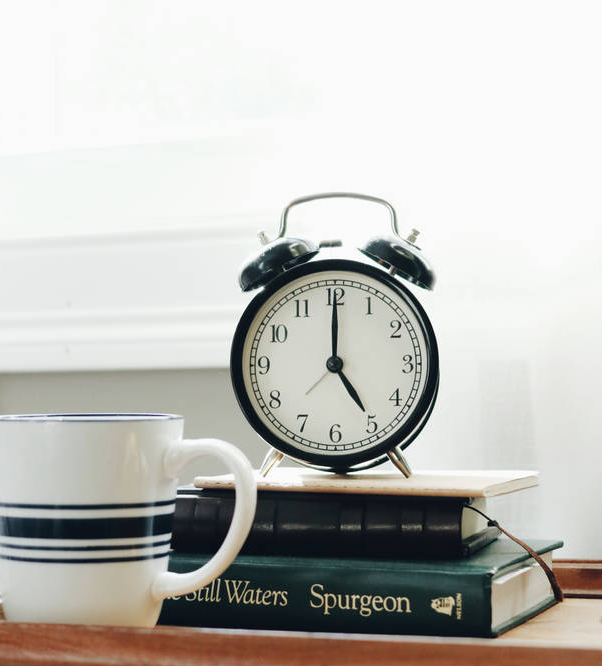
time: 5:00
